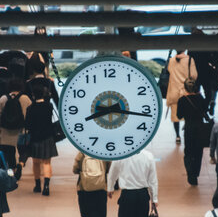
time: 8:16
